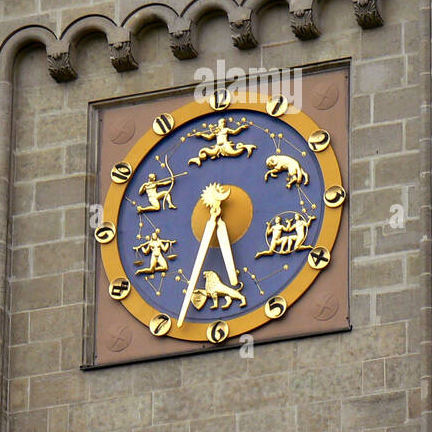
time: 5:33
